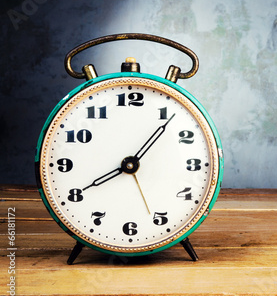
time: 8:06
